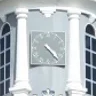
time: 4:22
